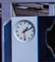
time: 1:11
